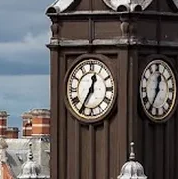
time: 12:35
